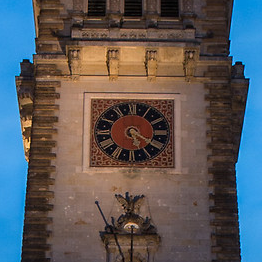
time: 5:20
